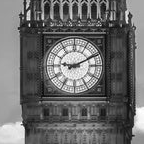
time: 9:10
